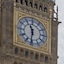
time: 11:31
